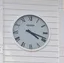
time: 4:18
